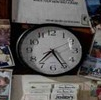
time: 7:25
